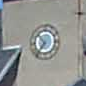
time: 10:36
